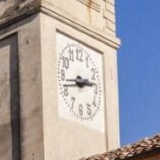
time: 2:43
